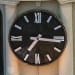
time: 7:15
